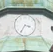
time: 3:35
